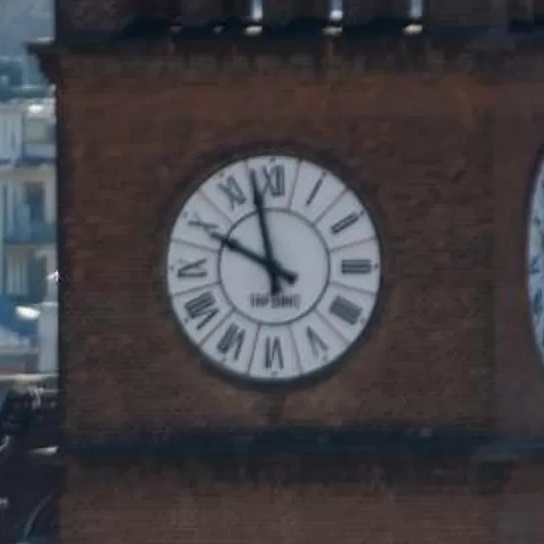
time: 9:57
